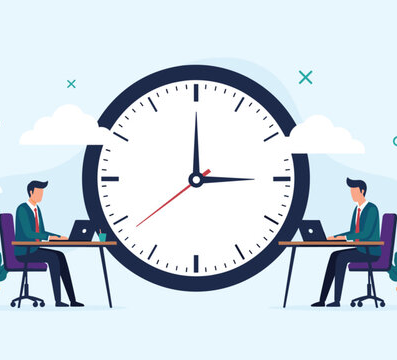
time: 2:59
